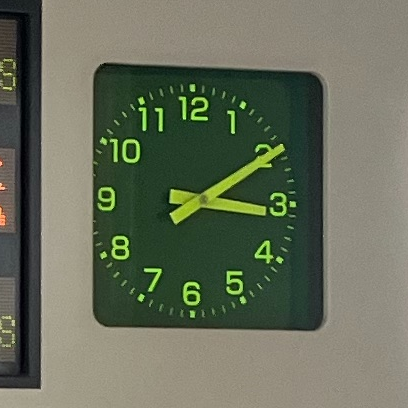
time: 3:10
